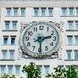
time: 2:29
